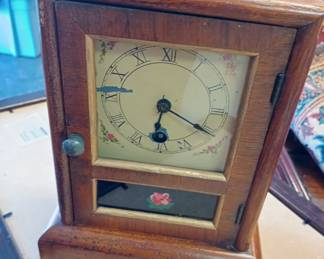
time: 6:19
